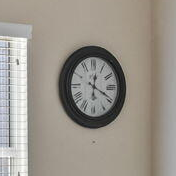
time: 12:19
